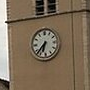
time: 6:37
